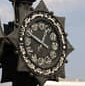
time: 12:49
